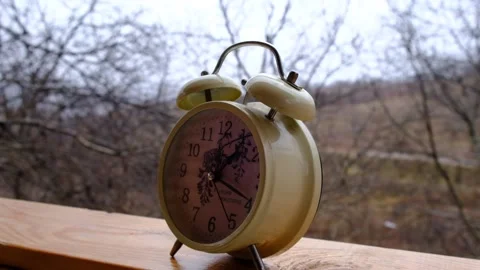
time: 1:19
